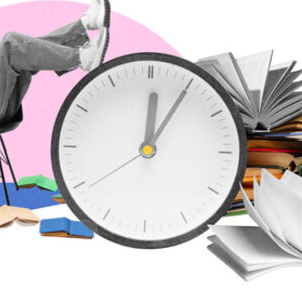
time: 12:05
